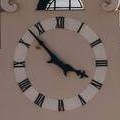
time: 3:52
